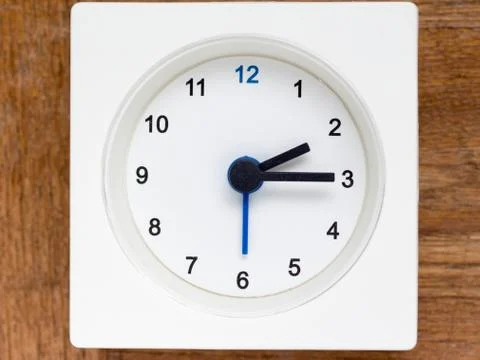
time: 2:15
